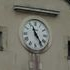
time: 11:24
